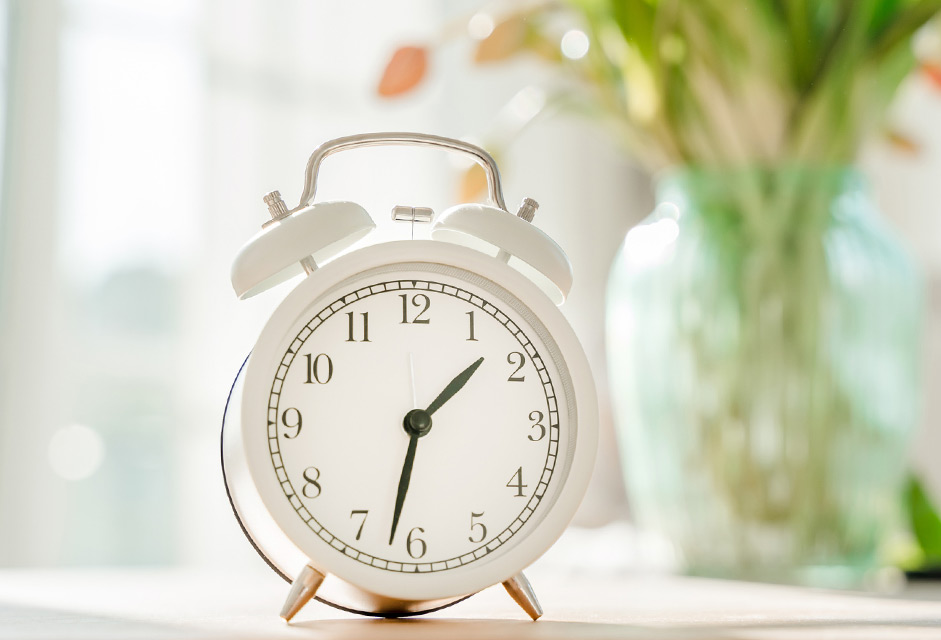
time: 1:32
